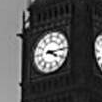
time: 4:14
